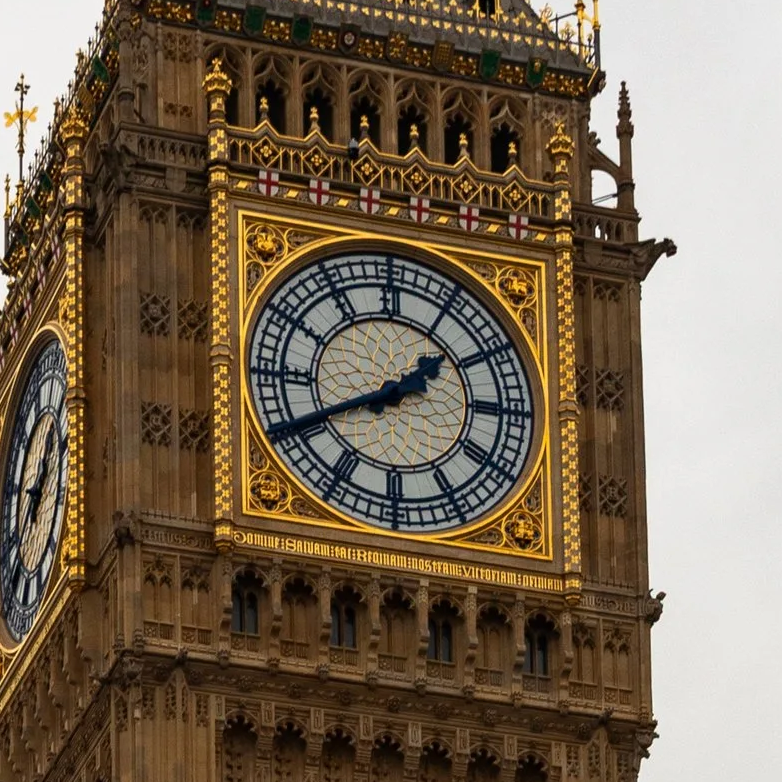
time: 1:40
